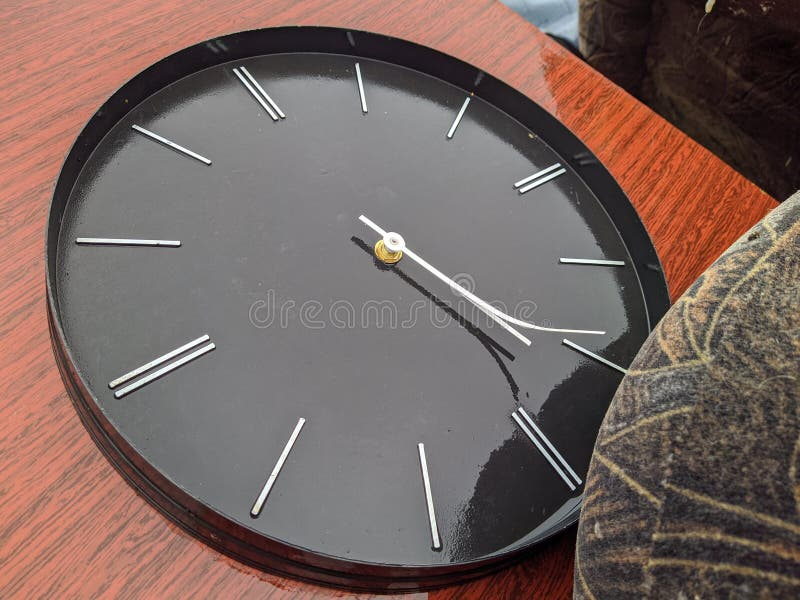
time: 4:23
